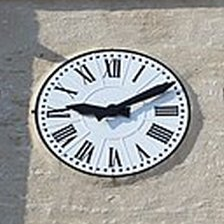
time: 9:10
